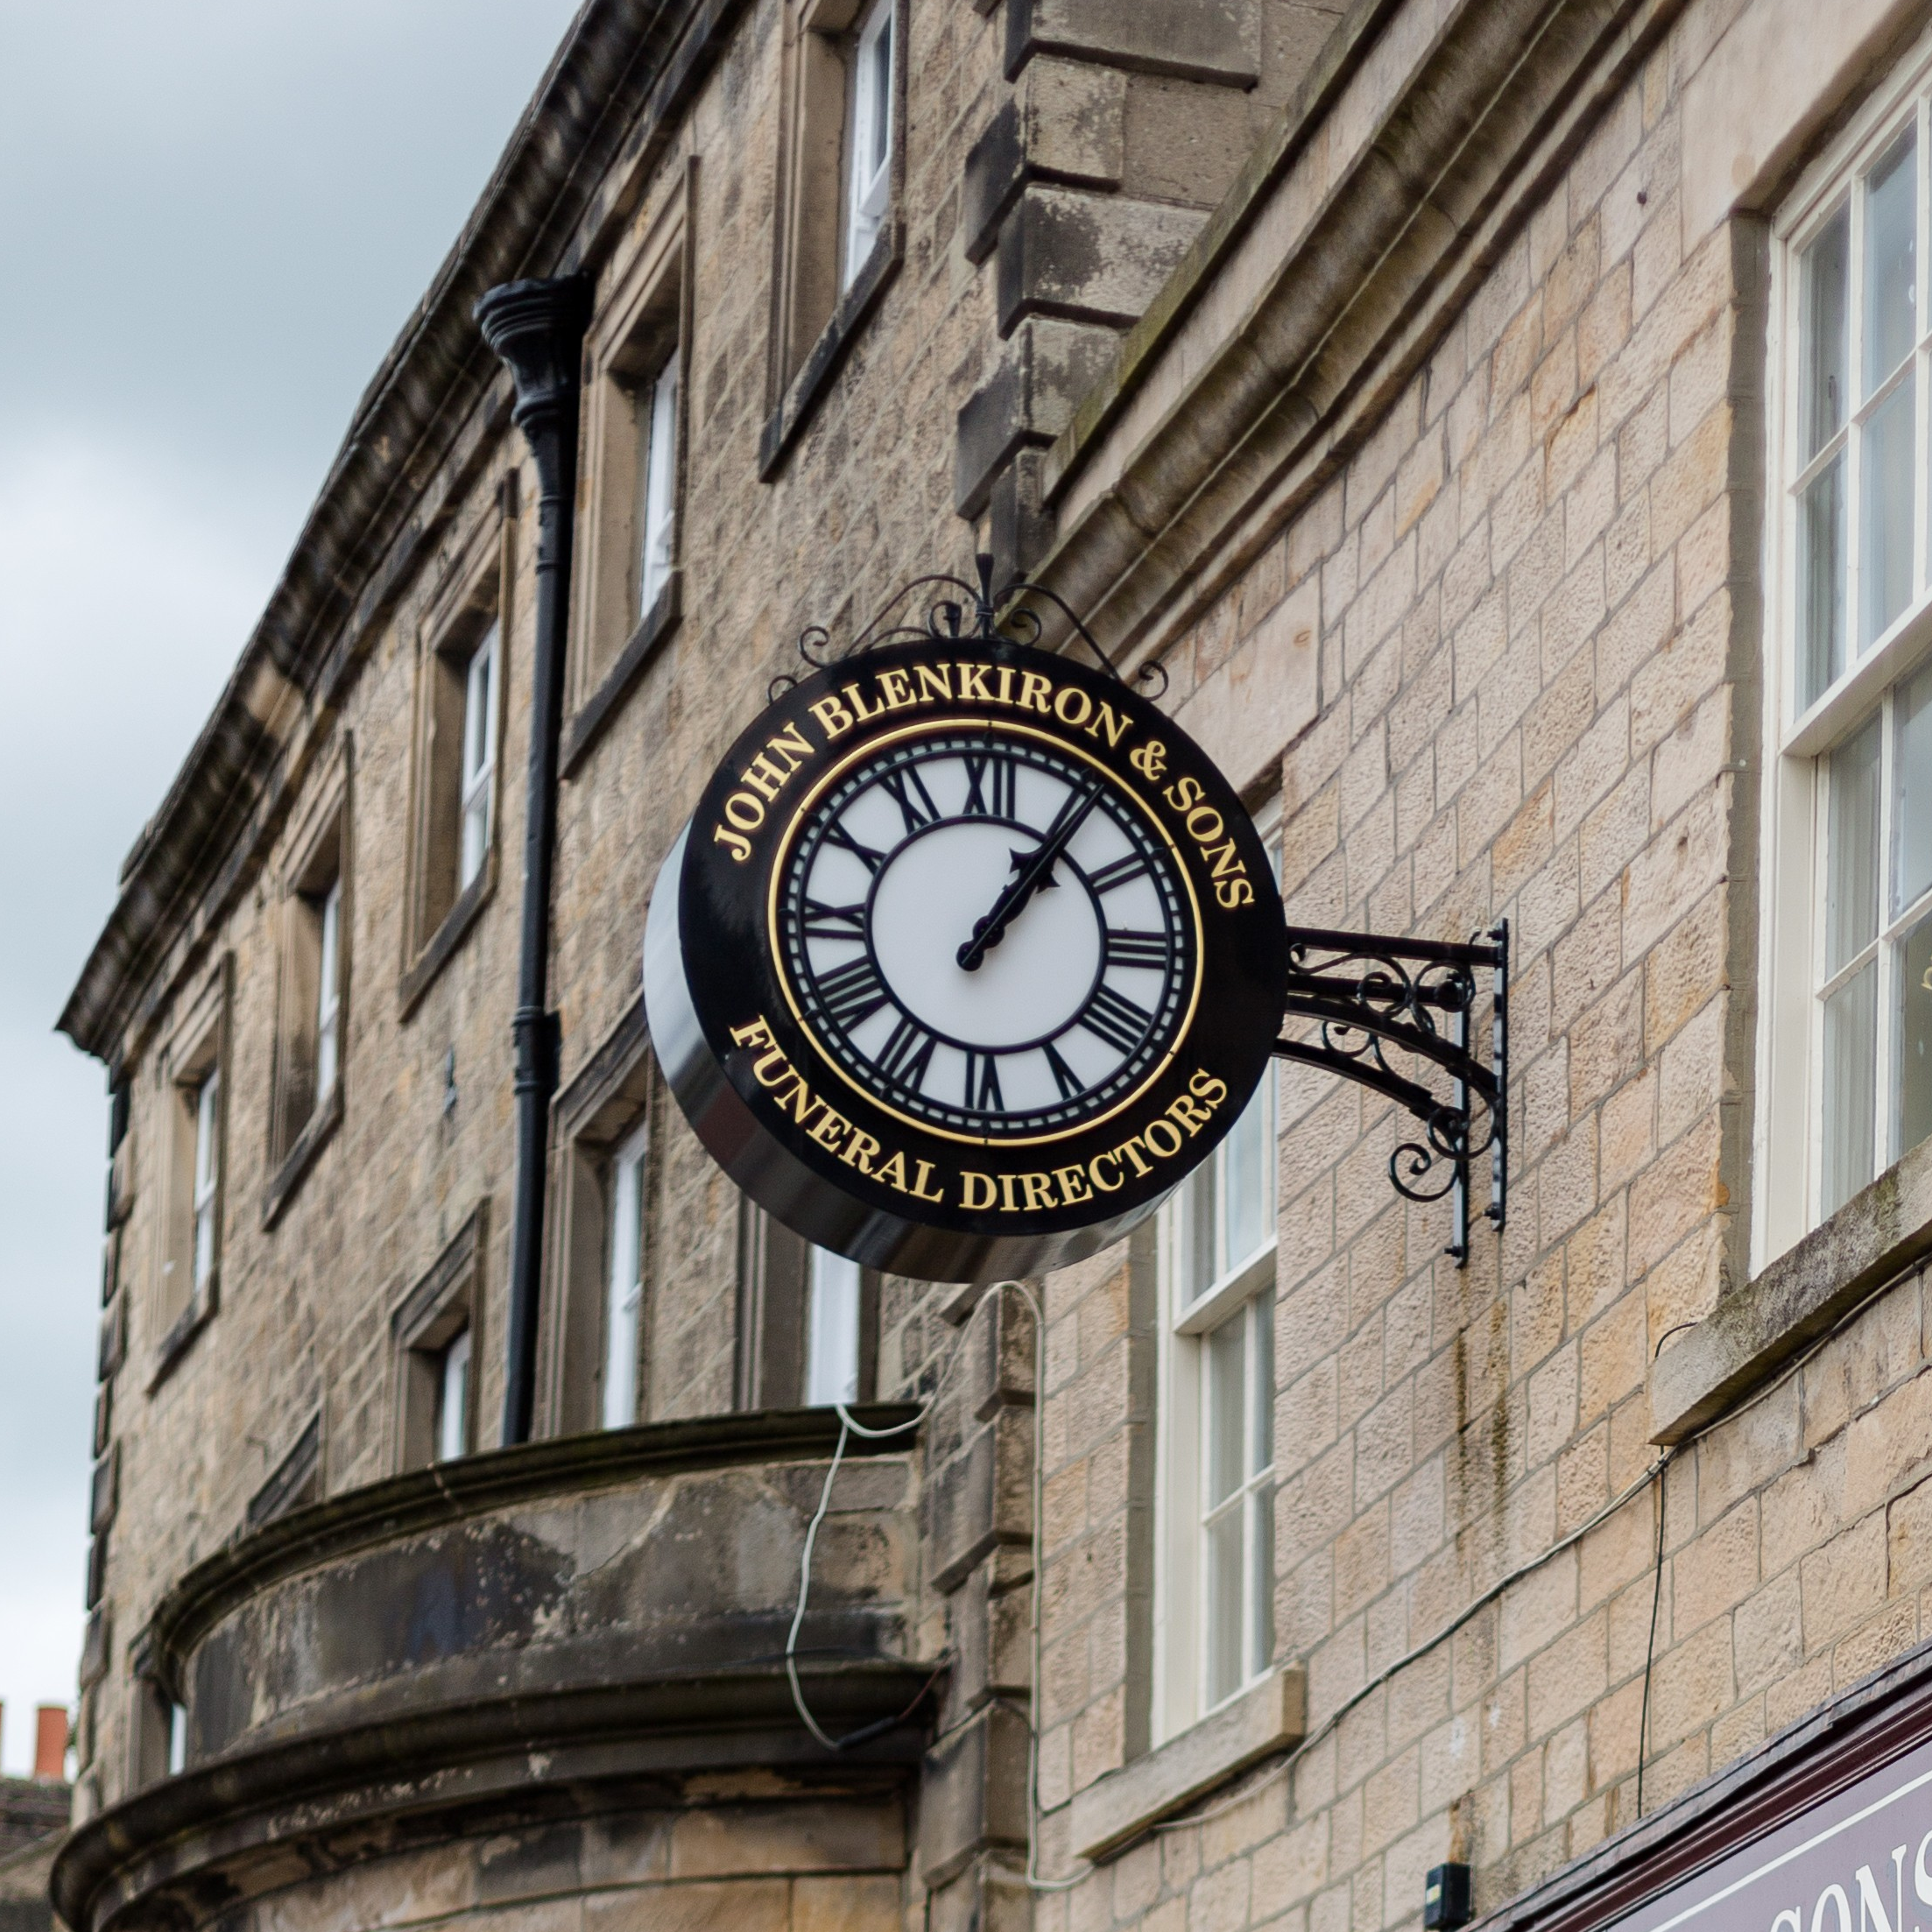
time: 1:06
